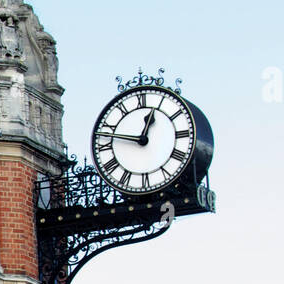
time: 12:47
